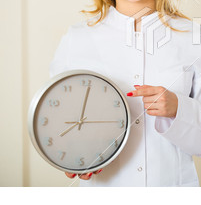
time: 8:01
